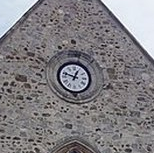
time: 12:47
